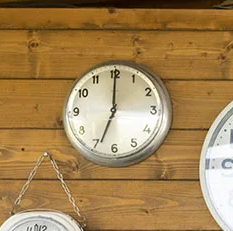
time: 7:00
